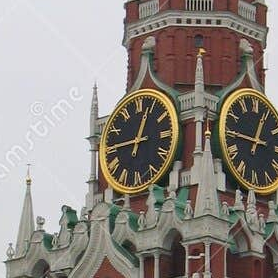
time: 12:45
